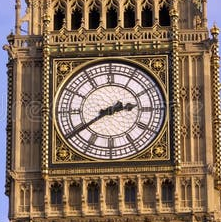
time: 2:39
